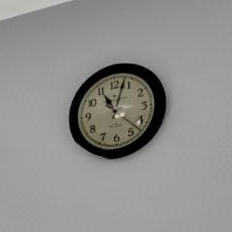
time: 11:02
